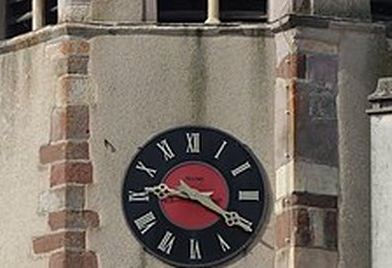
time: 9:20
